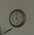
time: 4:59
